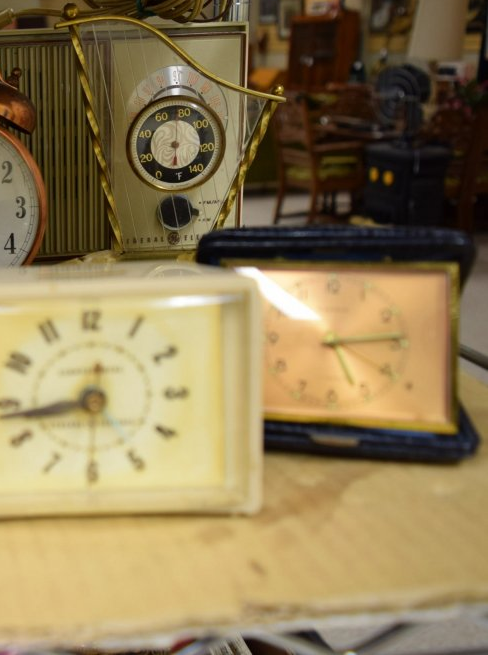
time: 5:13
